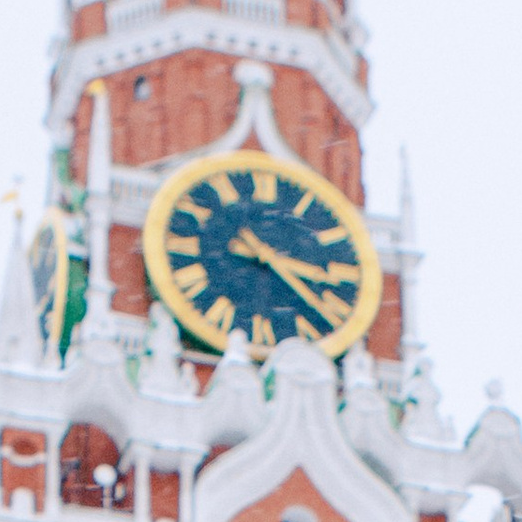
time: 3:22
